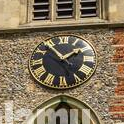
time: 1:53
